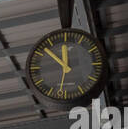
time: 11:52
